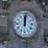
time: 12:01
